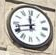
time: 11:42
